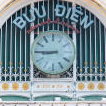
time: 8:45
